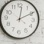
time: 12:09
